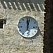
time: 12:02
